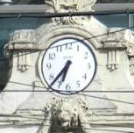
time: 6:36
